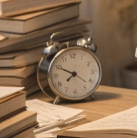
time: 7:49
